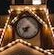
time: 8:36
